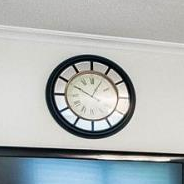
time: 10:05
